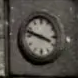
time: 3:47
